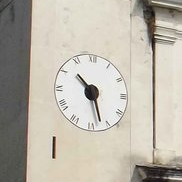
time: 10:27
